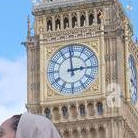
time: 2:59
